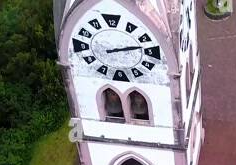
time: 2:12
